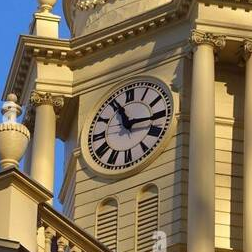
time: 11:15
